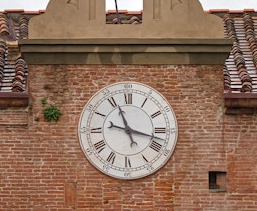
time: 11:17
